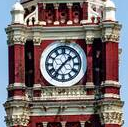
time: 1:36
